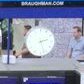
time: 2:27
